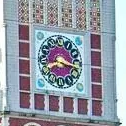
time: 3:17
